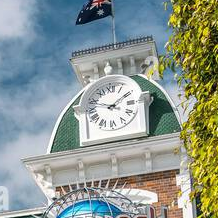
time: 1:47
